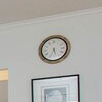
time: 5:34
